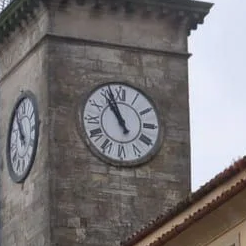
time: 10:56
